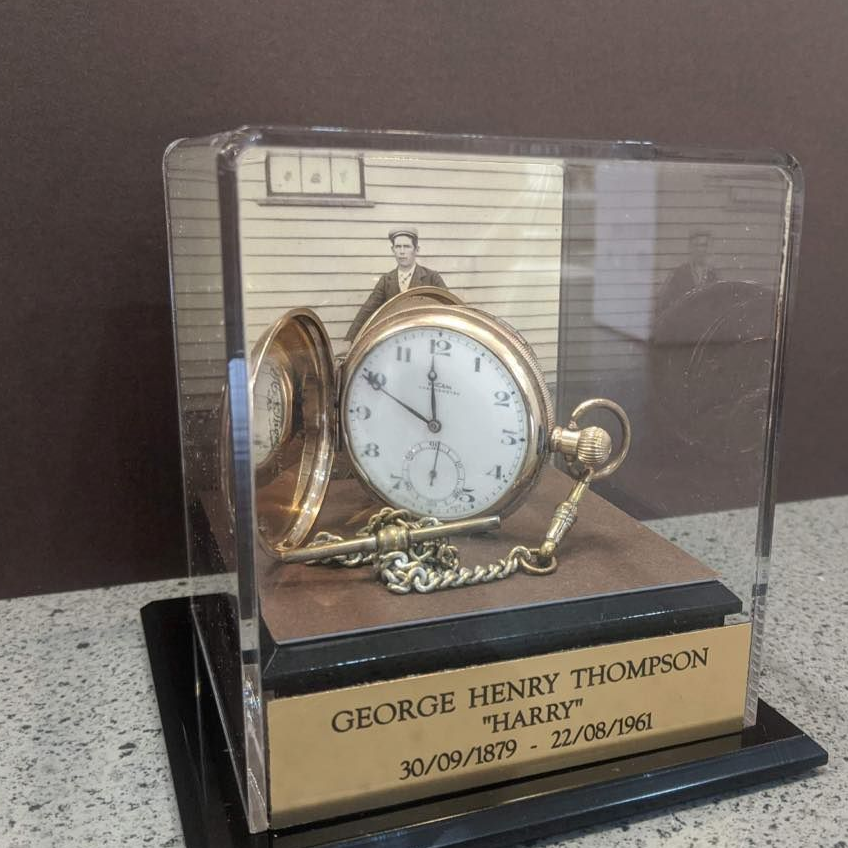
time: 11:49
